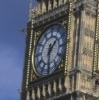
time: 1:30
